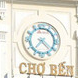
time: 7:22
